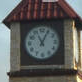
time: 11:05
